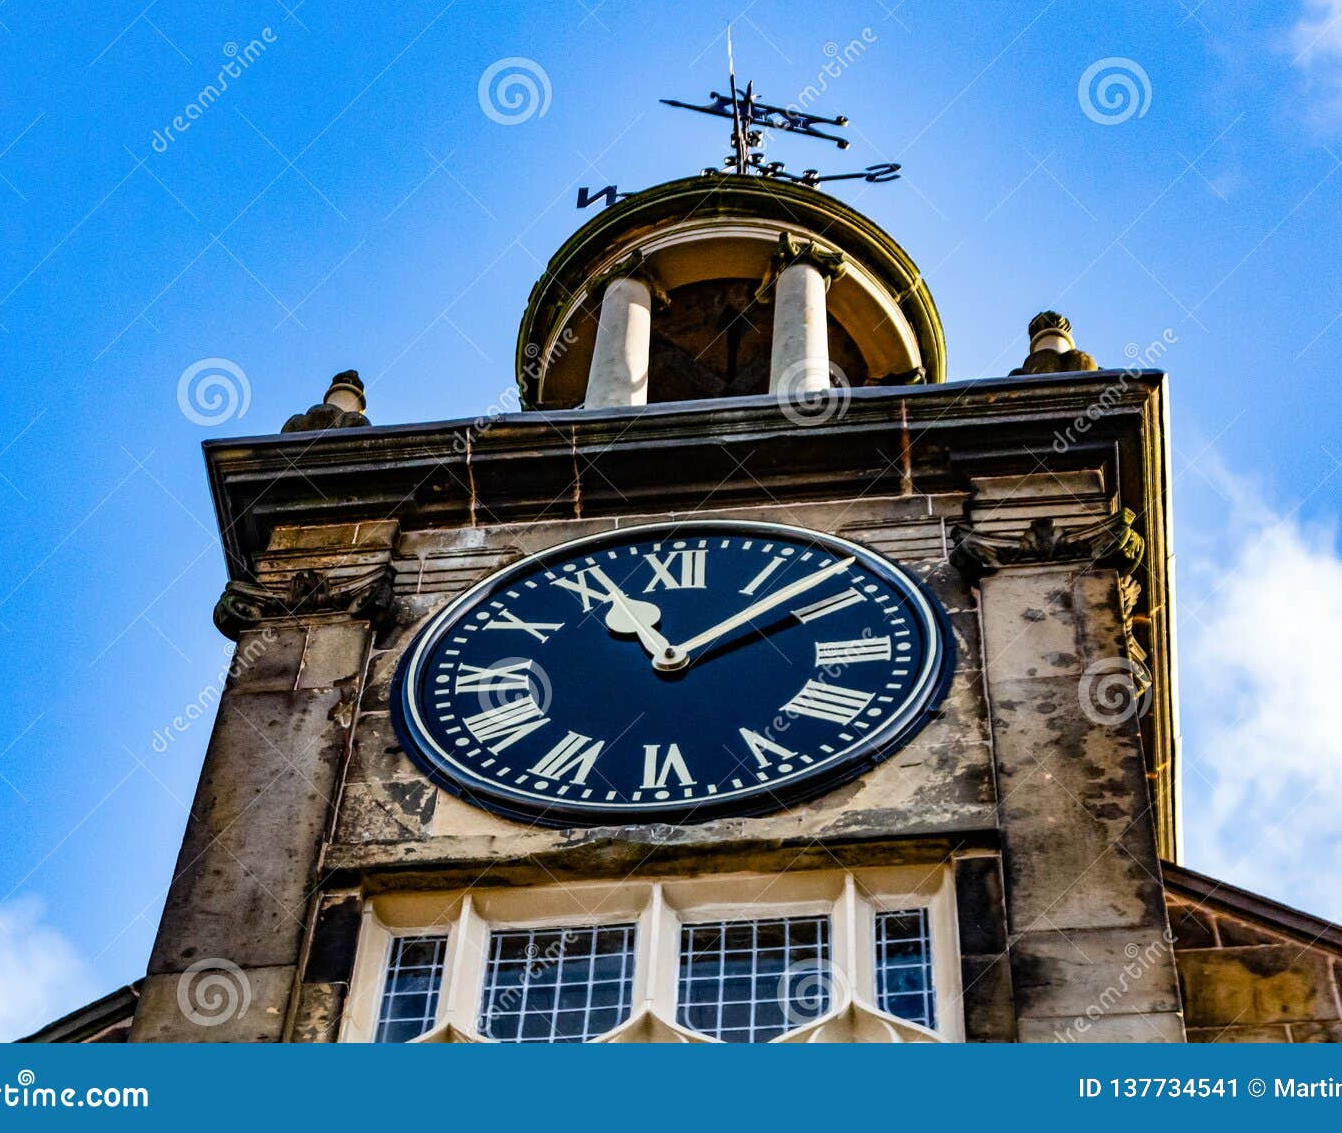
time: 11:07
